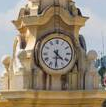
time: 4:30
